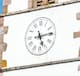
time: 5:13
